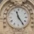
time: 11:24
